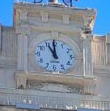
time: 10:59
